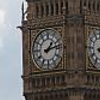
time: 1:12
